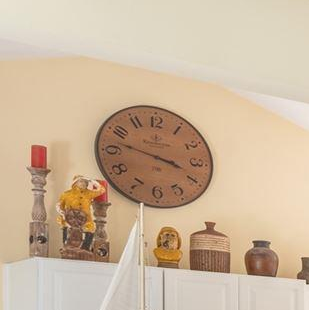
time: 3:47
